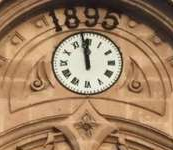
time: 11:58
